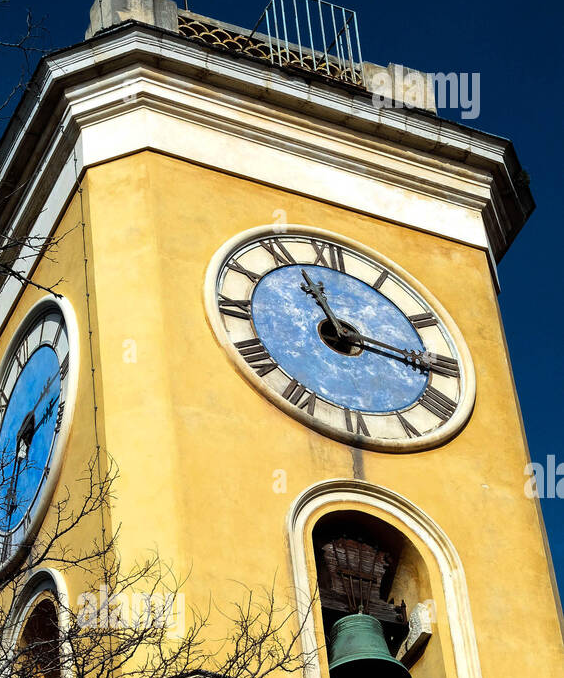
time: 11:16
